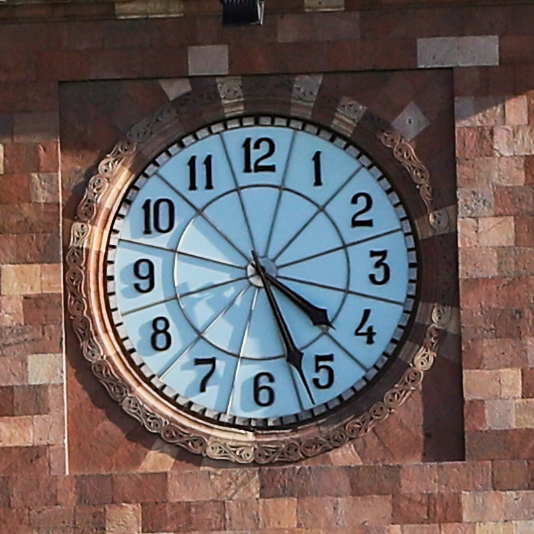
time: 4:26
